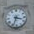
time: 3:33
